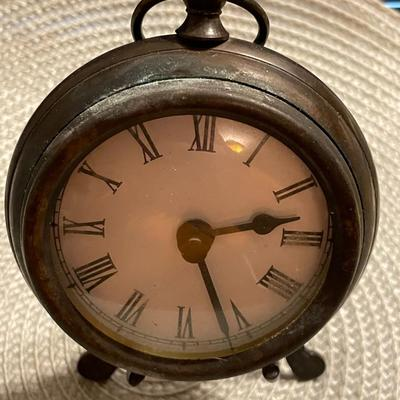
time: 2:26
